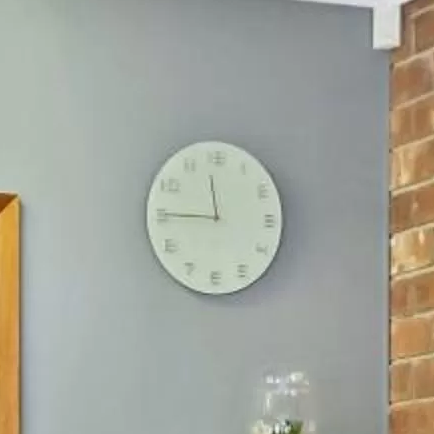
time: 11:45
